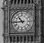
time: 10:44
